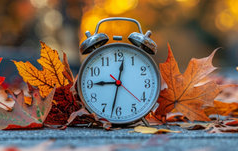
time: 9:02
